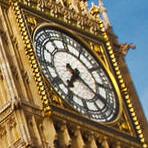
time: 7:20
